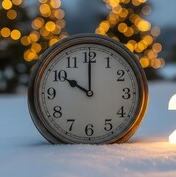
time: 10:00
